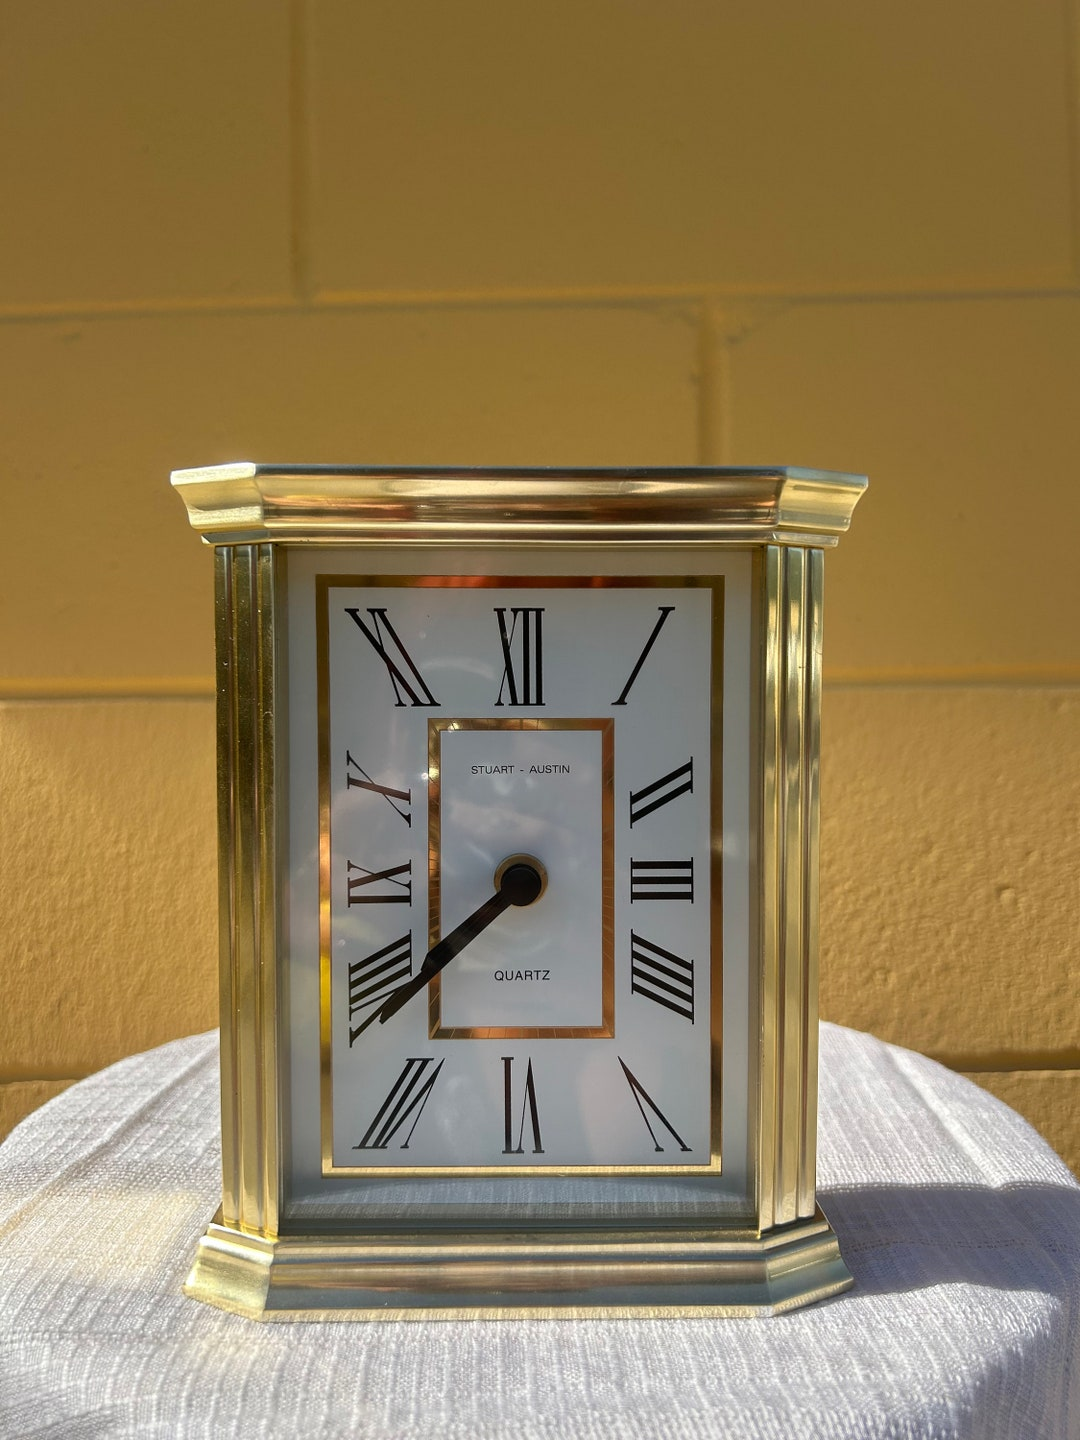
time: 7:38
